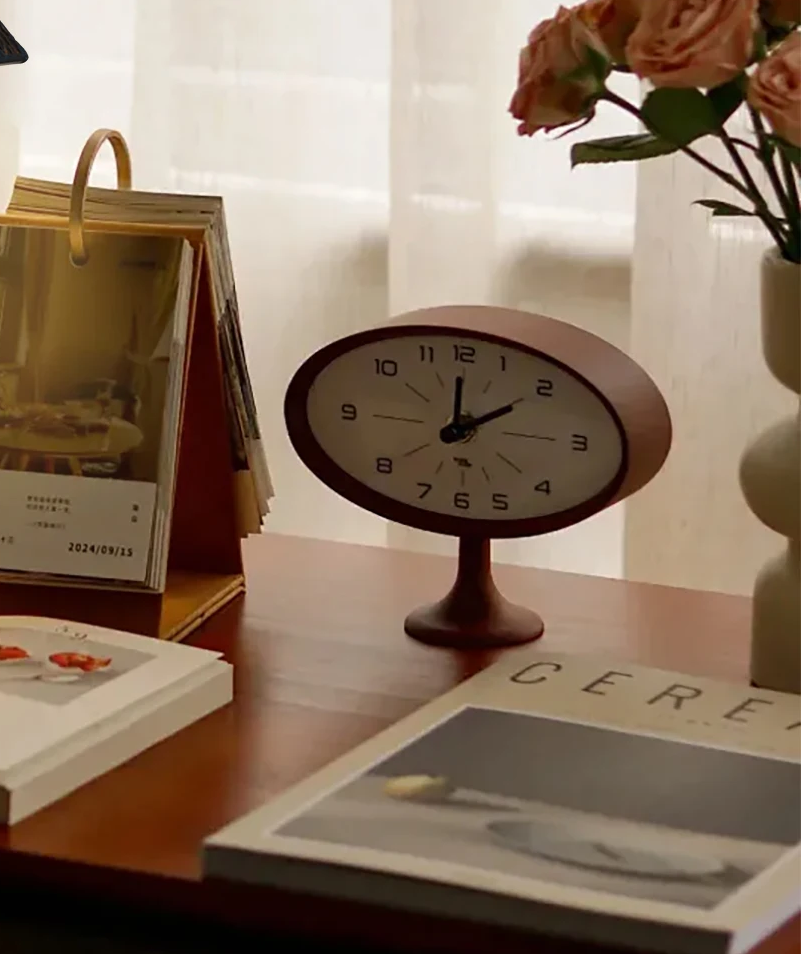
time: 2:01
